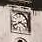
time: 3:40
